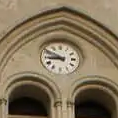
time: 8:49
